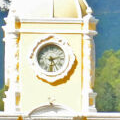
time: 2:29
